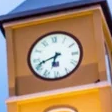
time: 6:41
